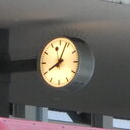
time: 8:03
